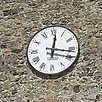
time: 12:16
